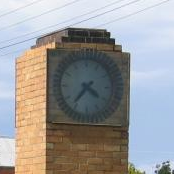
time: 4:36
